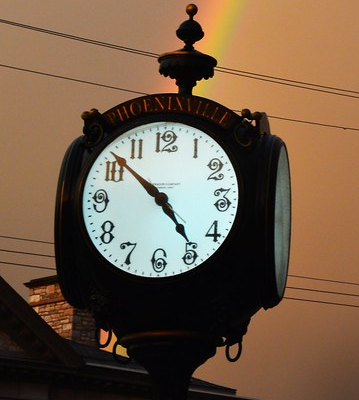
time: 4:51
